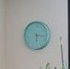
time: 6:16
